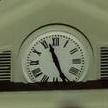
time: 11:26
